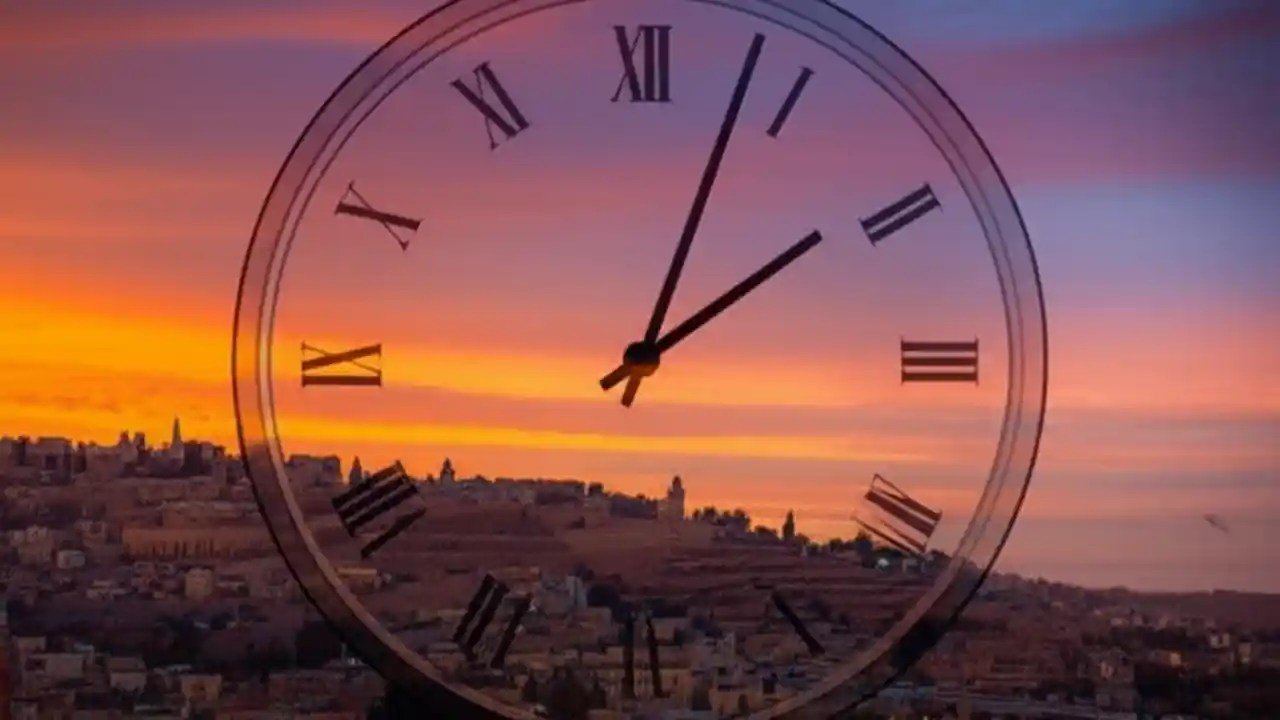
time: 2:03
